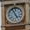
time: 4:56
